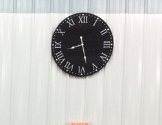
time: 8:28
